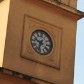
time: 9:33
